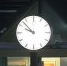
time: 9:52
